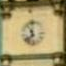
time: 11:37
